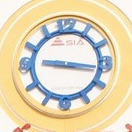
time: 9:16
